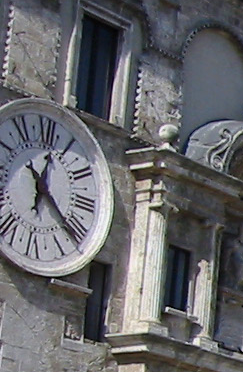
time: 12:21
